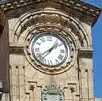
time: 1:39
